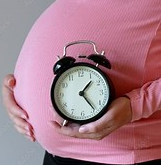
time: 1:23
